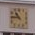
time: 10:45
